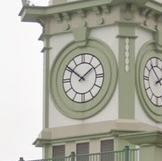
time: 1:50
